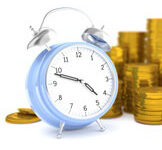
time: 4:48
